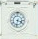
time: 3:32
